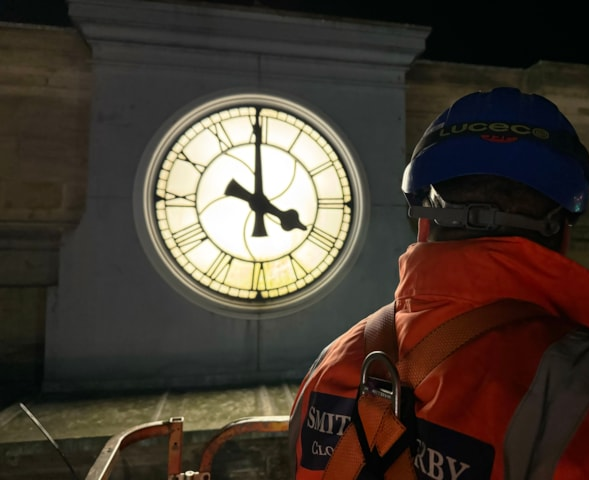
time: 3:59
